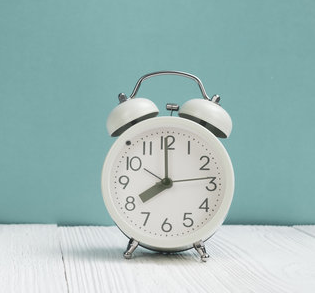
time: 8:00
